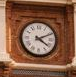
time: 4:10
